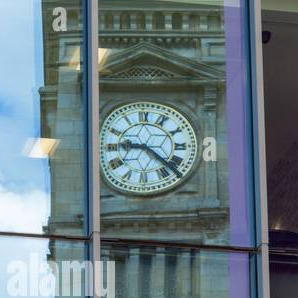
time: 9:22
